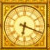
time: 6:18
